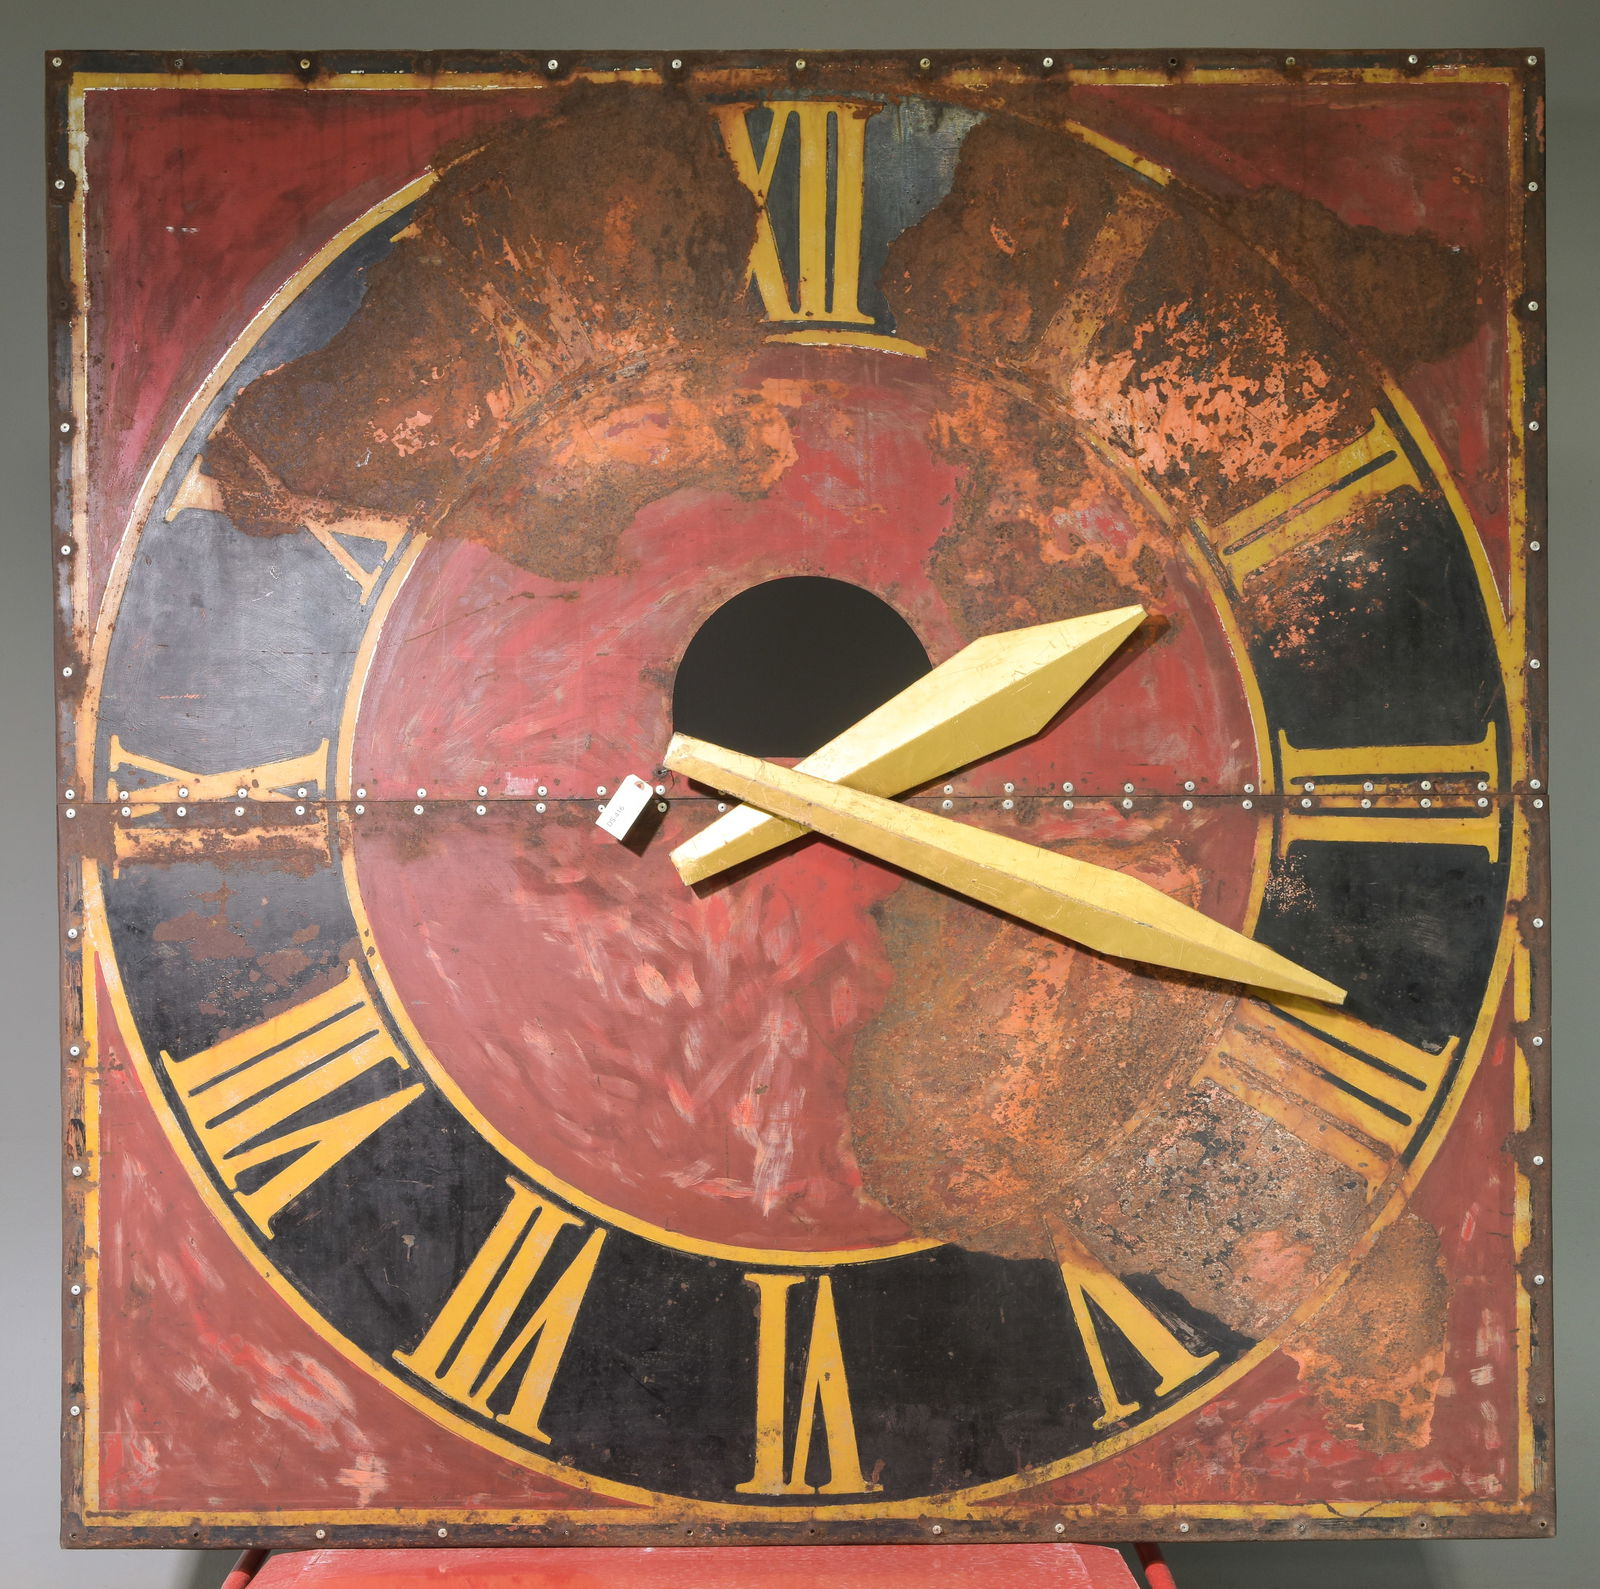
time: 2:18
